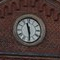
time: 11:29
